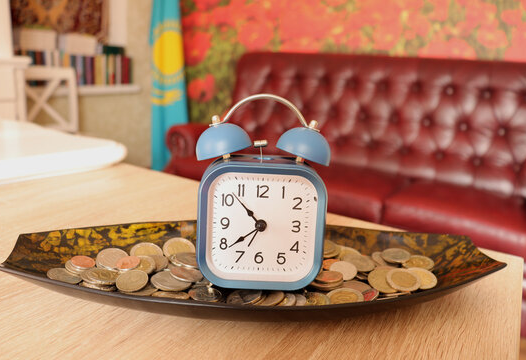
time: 10:38
